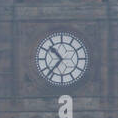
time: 10:36
